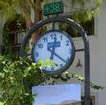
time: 12:21
